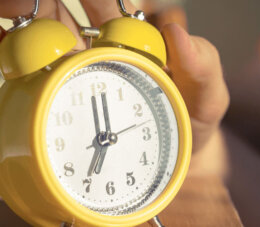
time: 6:59
